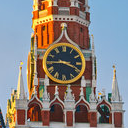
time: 3:44
